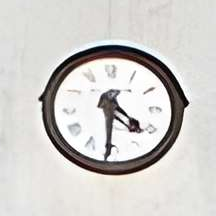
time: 4:30
